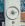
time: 4:12
